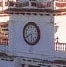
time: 5:40
